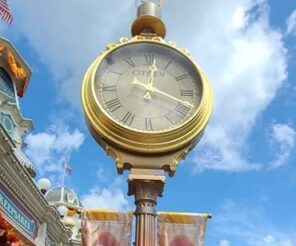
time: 12:18
